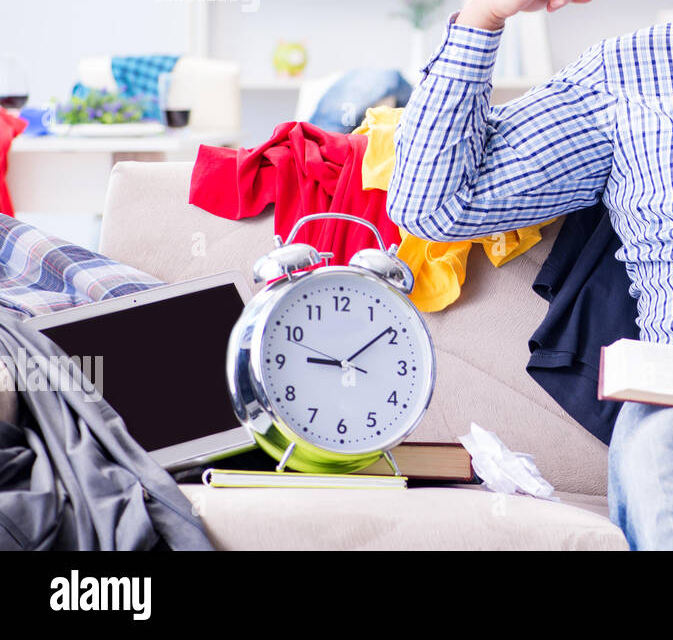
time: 9:09
